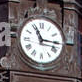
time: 11:15
